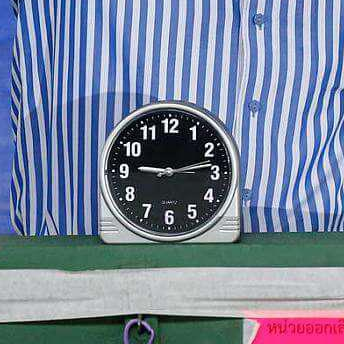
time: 9:13
